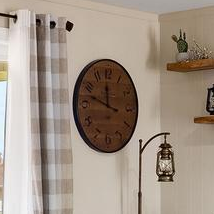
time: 11:47
